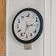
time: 2:32
